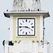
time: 3:45
